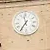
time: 11:35
